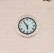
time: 5:54
